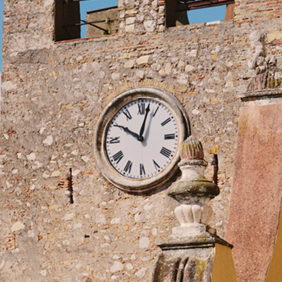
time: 10:02
